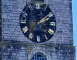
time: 2:09
